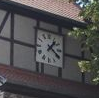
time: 1:20
